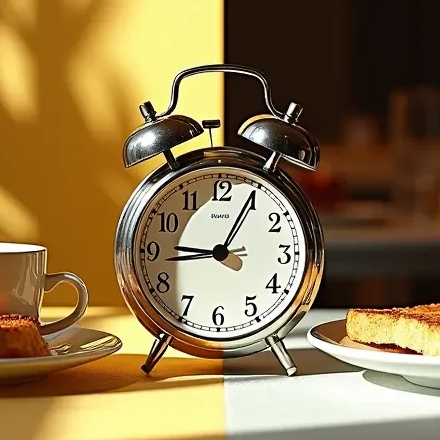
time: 9:04
